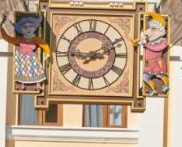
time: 9:10
